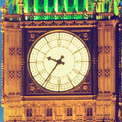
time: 9:36
